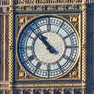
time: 10:52
